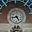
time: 4:42
